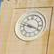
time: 3:47
